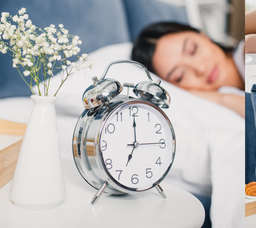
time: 7:00
